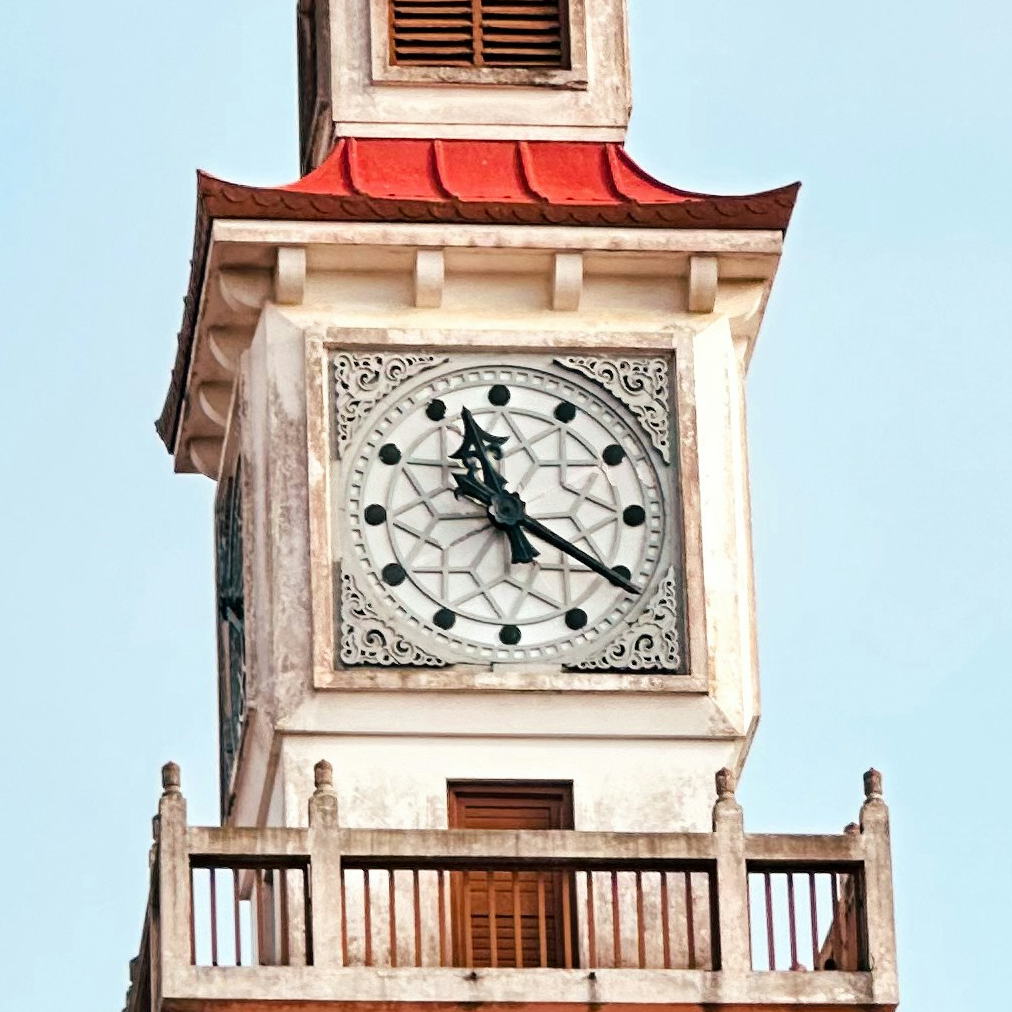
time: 11:20
